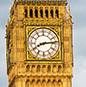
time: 8:14
